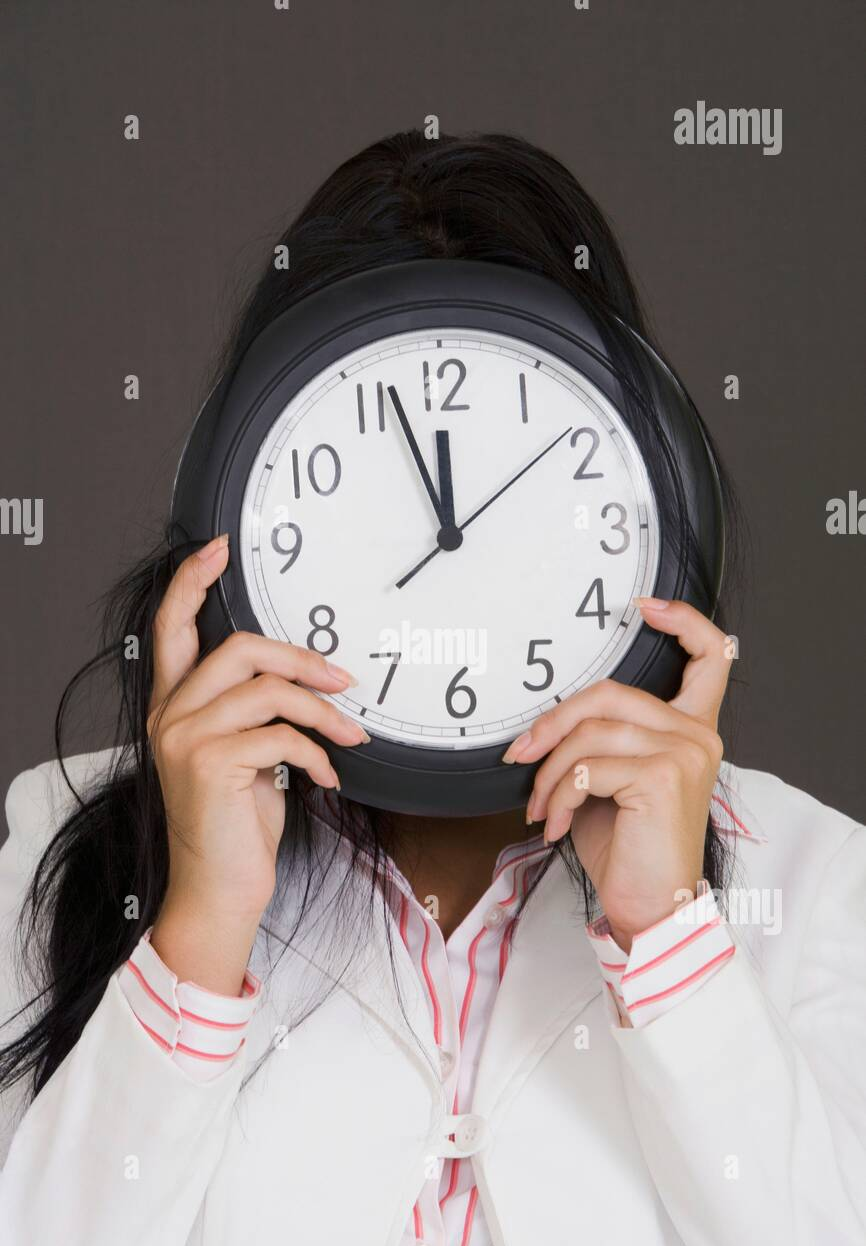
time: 11:56
